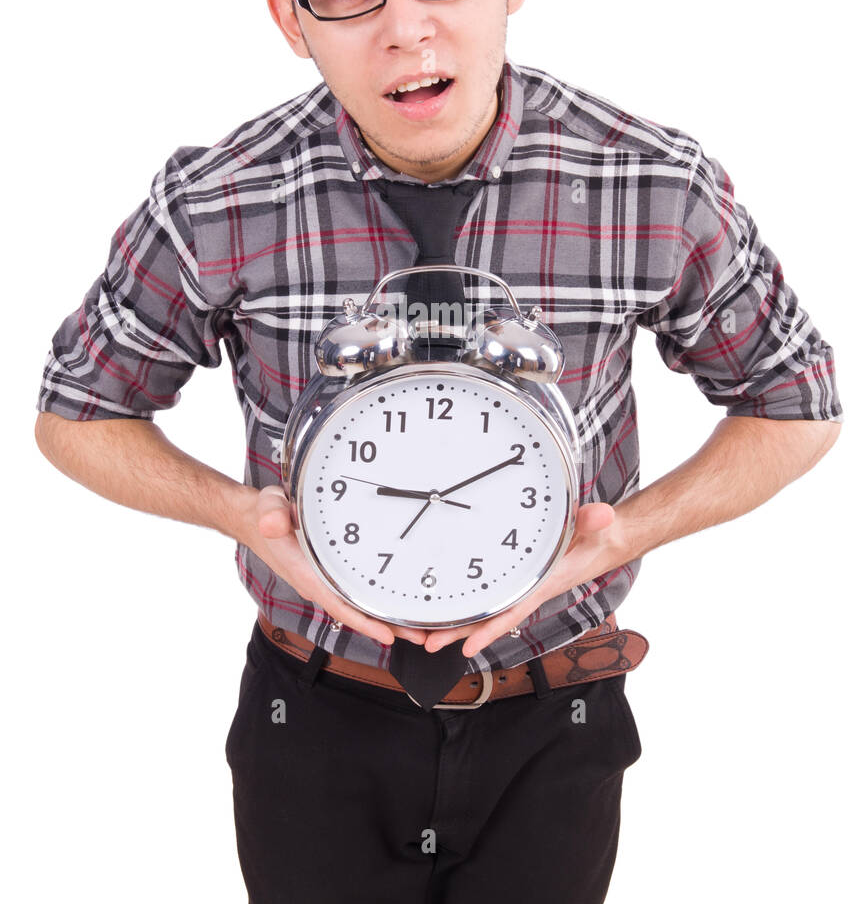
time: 9:10
